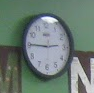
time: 2:45
